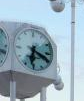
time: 6:18
